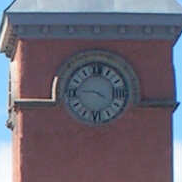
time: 9:20
